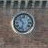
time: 10:32
